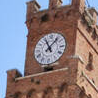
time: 11:07
